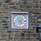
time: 5:03
